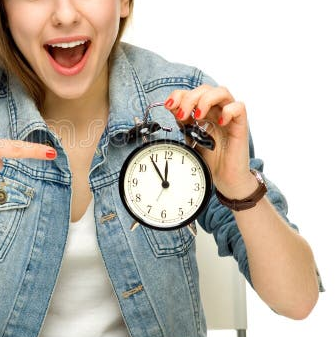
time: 11:54
